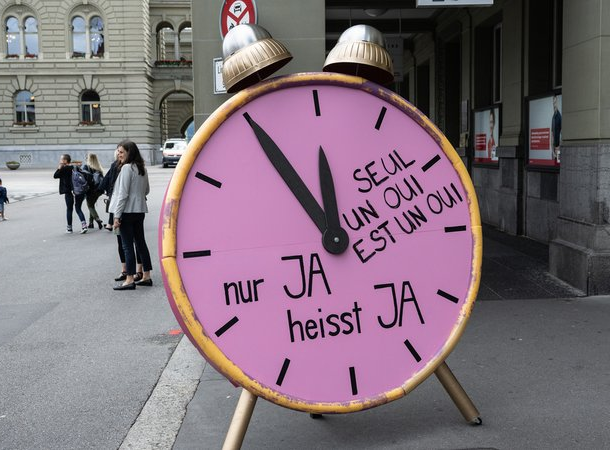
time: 11:54
